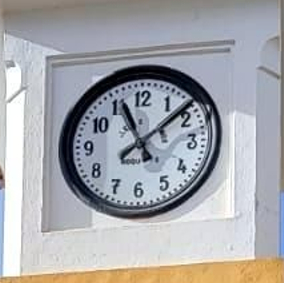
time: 11:08
